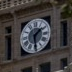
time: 1:29
